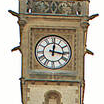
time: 12:16
